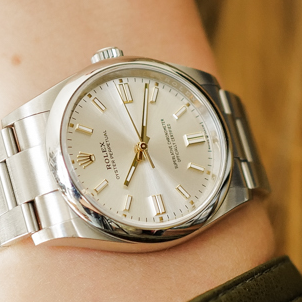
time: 7:03
